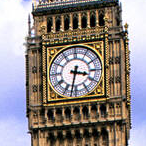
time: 3:32
